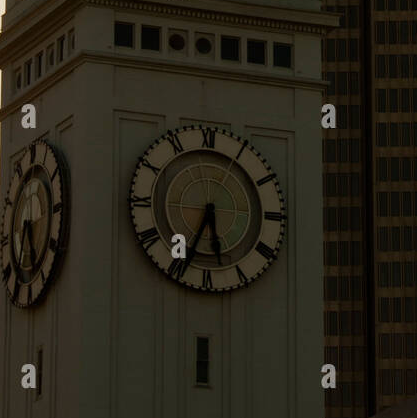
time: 5:34
